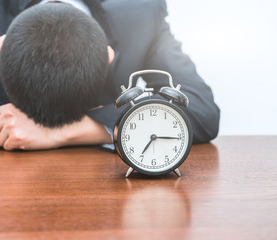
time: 7:15
